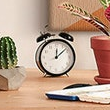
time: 12:08
